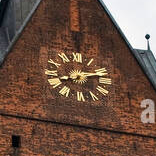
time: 8:12
